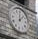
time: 12:07
